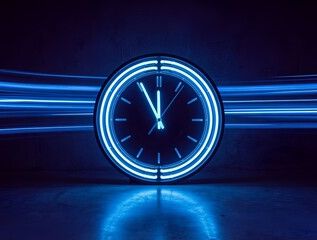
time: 11:55
